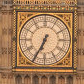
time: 6:34
